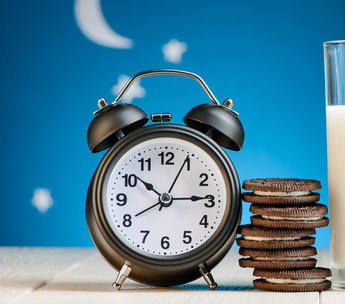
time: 10:14
